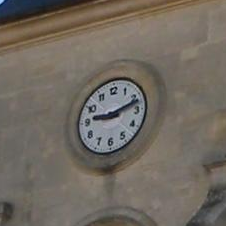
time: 9:11
